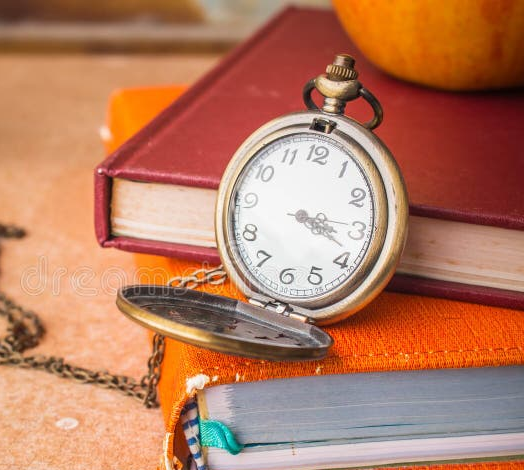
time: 3:18
